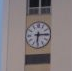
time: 6:14
